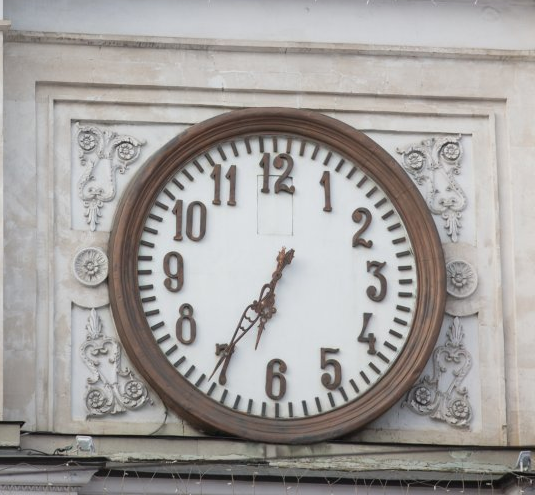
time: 6:35
